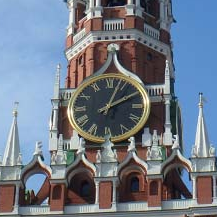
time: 2:03
